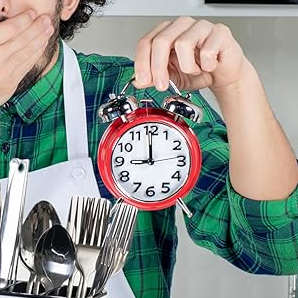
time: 9:00
